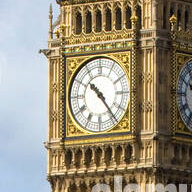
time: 10:23
